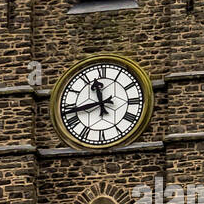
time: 11:42
